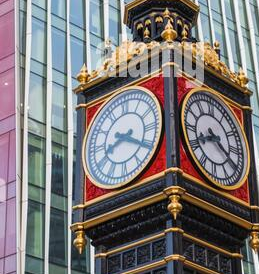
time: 8:20
